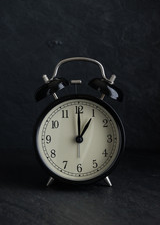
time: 1:00
